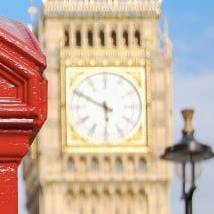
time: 5:49
